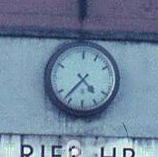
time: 4:37
